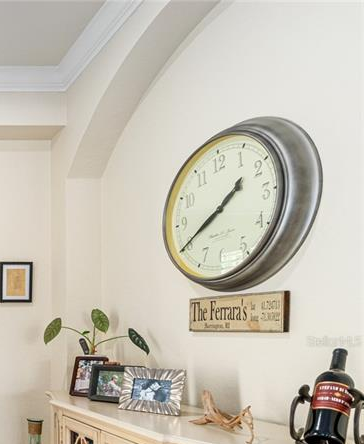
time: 1:40
